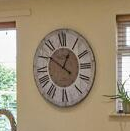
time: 12:51
